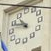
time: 10:48
